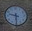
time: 9:30
